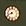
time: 8:41
